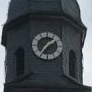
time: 1:36
